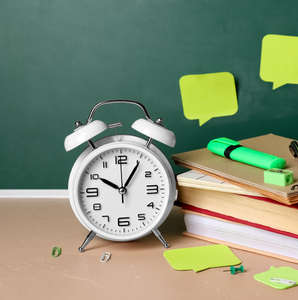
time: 10:05
